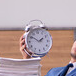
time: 1:50
